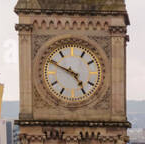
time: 4:49
